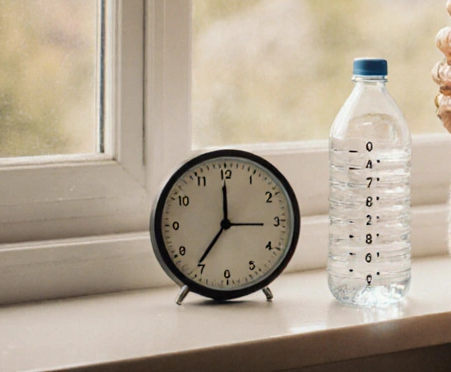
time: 7:15
